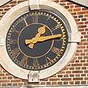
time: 1:13
